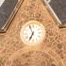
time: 6:56
